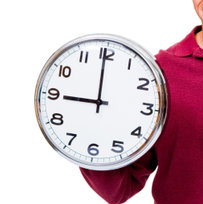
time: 8:59
